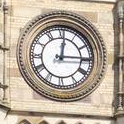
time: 12:14
